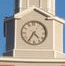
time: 4:35
